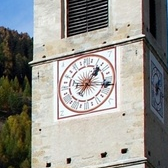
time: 1:16
